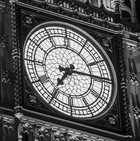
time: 7:14
